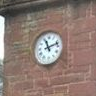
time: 11:12
